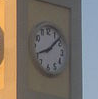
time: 8:07
